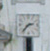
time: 2:36
